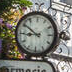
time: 8:50
